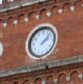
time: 2:07
